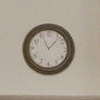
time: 11:07
